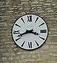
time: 3:41
